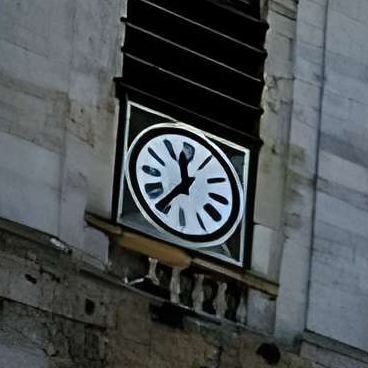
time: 11:36
